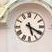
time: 5:19
